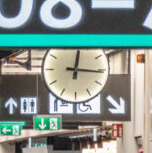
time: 12:16
